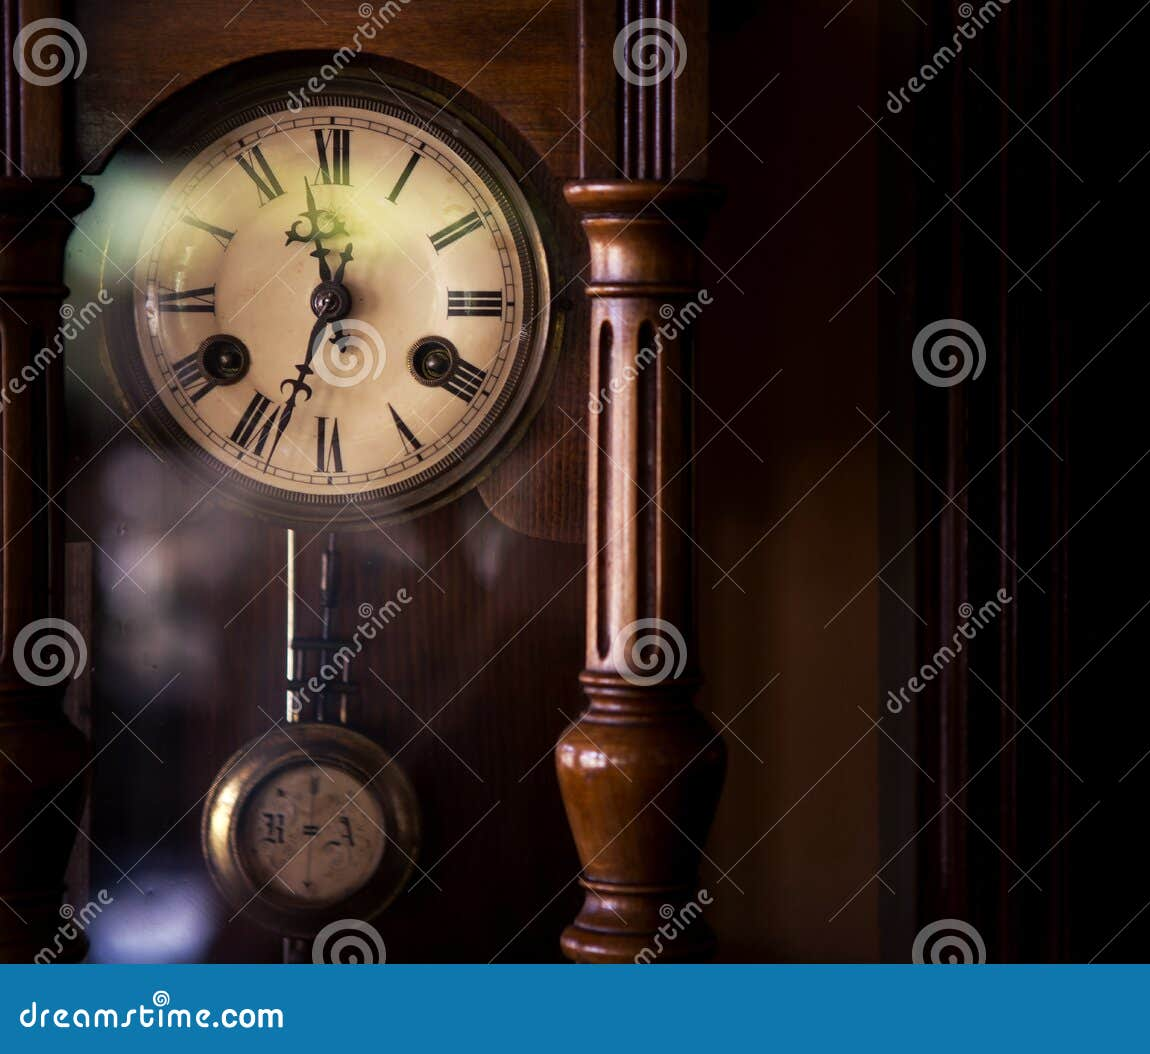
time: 11:33
